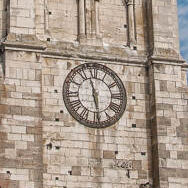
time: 11:28
